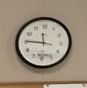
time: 11:45
